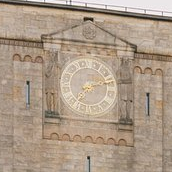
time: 2:37
